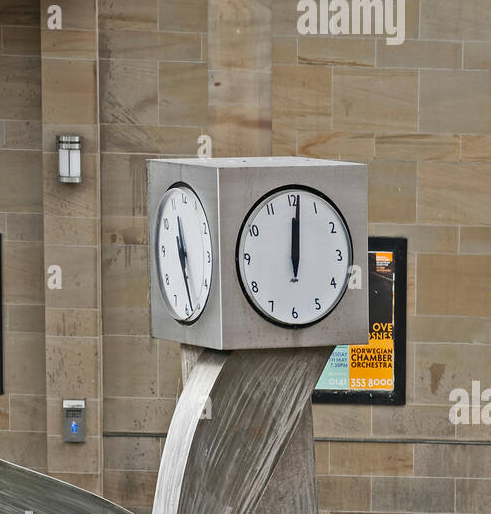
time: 12:01
